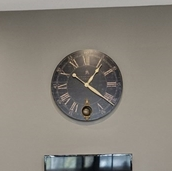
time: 1:21
